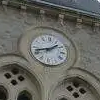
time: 1:42
